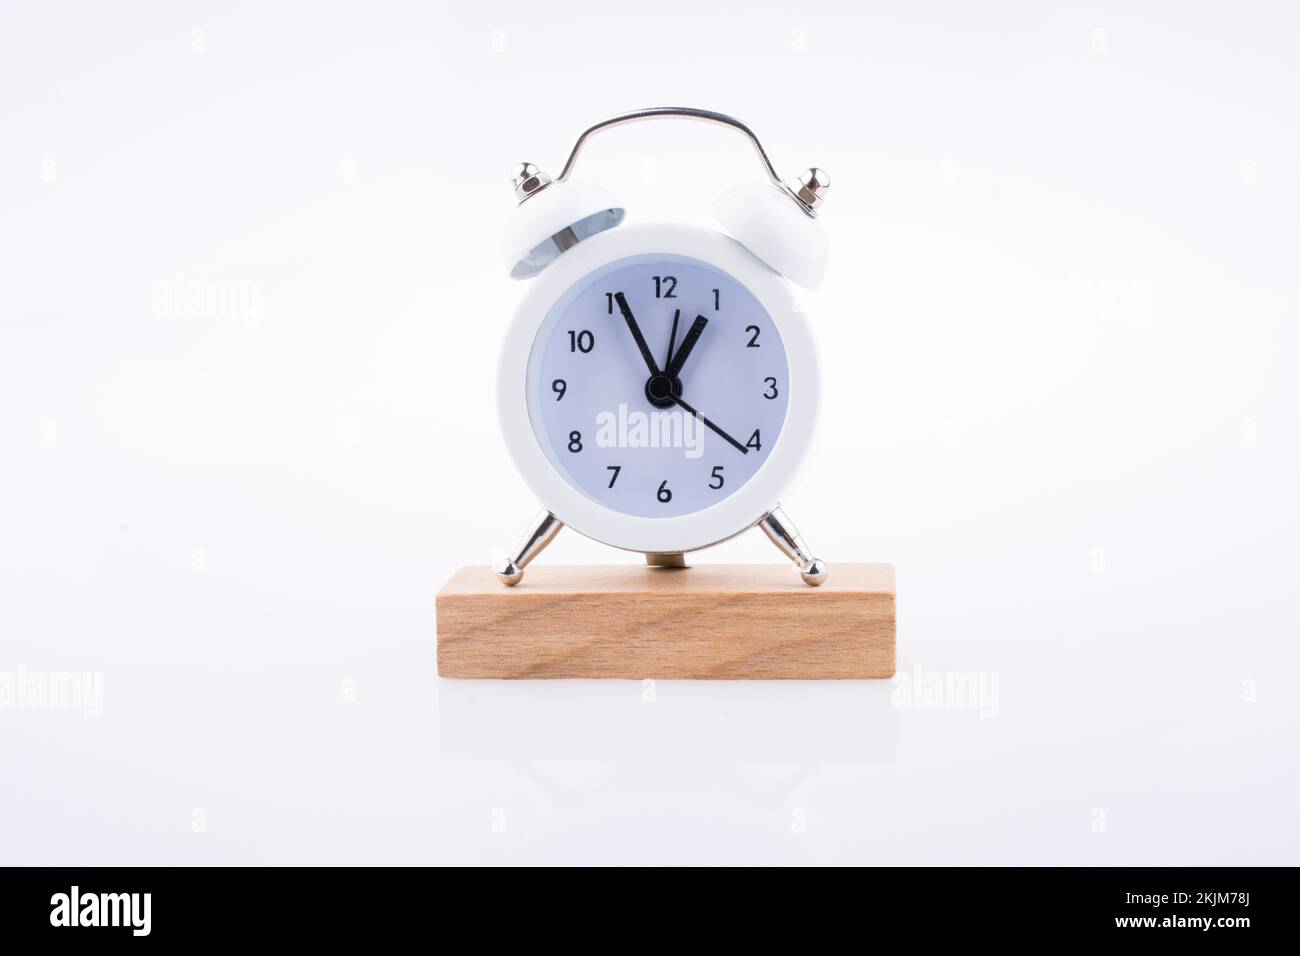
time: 12:56
